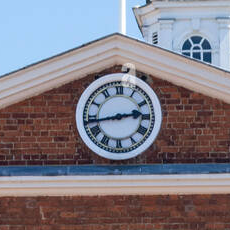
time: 2:43
